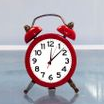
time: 12:08
